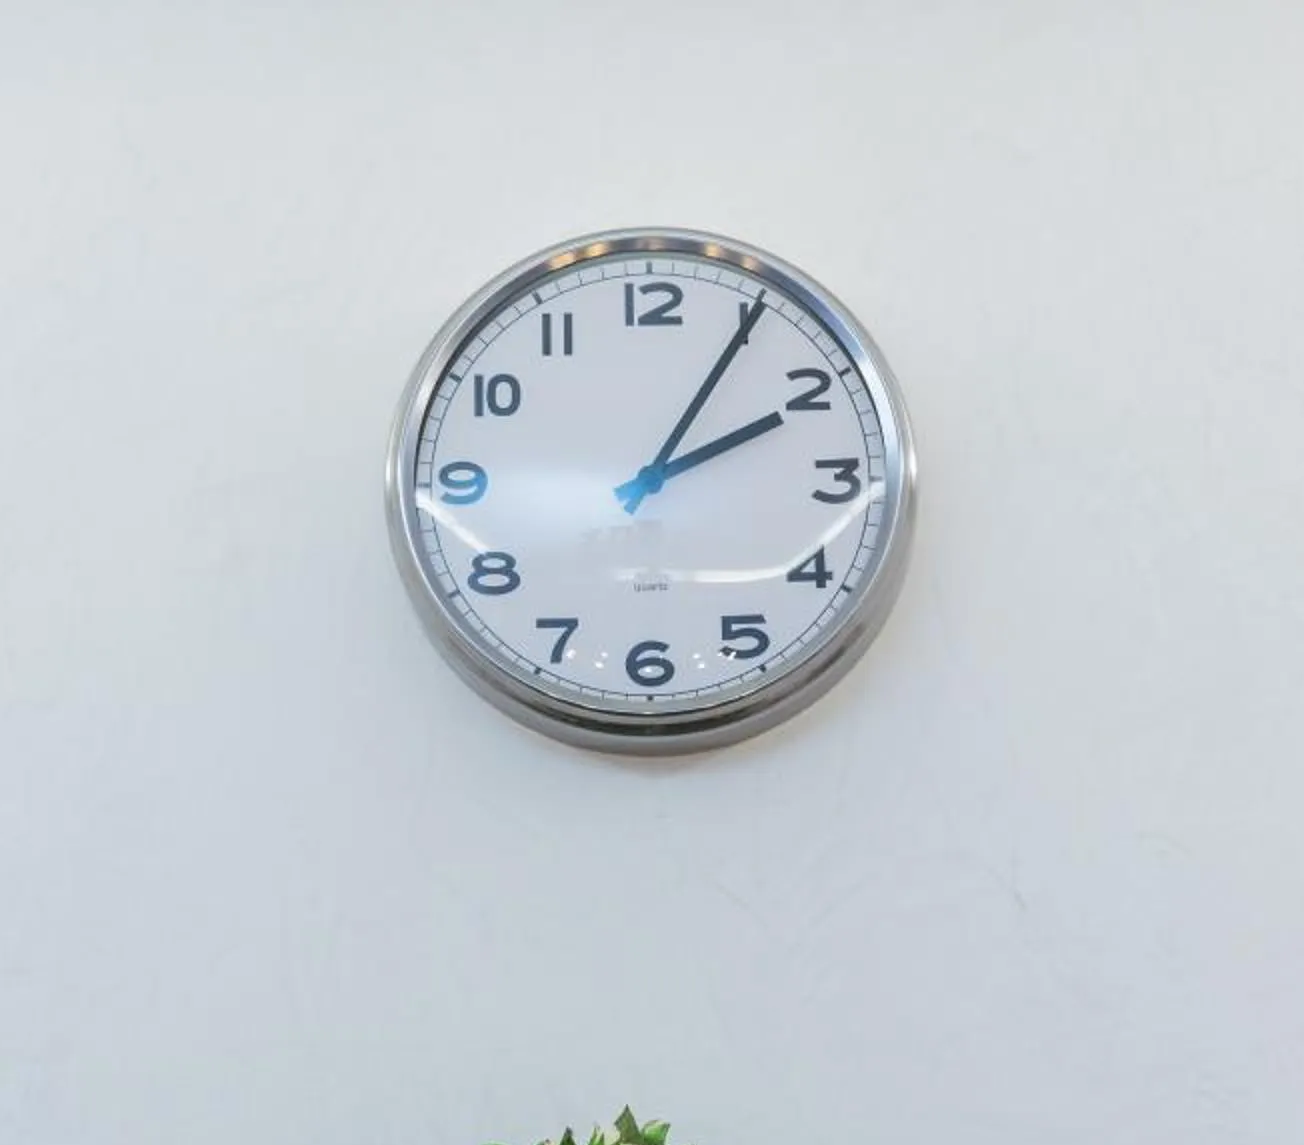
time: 2:05
